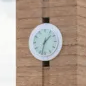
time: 1:32
